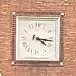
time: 4:16
